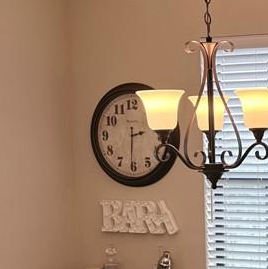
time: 2:30
